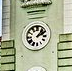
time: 2:06
